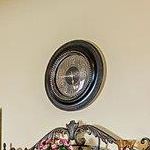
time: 5:45
